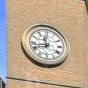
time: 11:42
